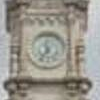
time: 11:35
